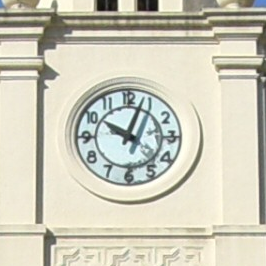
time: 10:03
